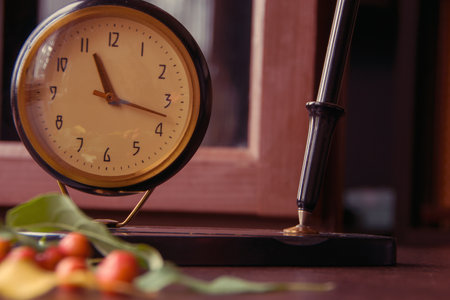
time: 11:17
